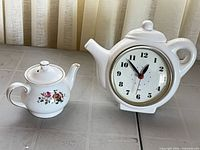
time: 12:52
